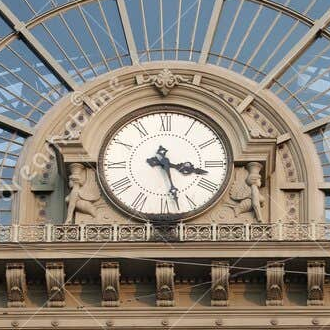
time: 3:27
